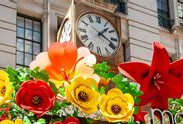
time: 1:18
